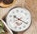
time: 10:20
